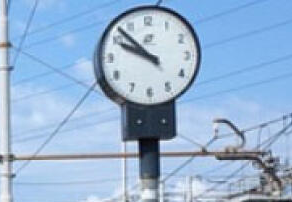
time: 9:52
